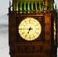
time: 6:45
